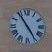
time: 4:54
